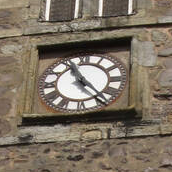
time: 11:23
